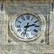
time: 2:32
